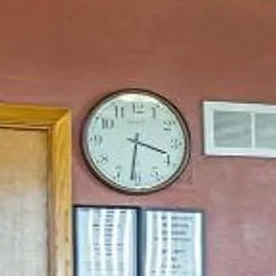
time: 3:31
